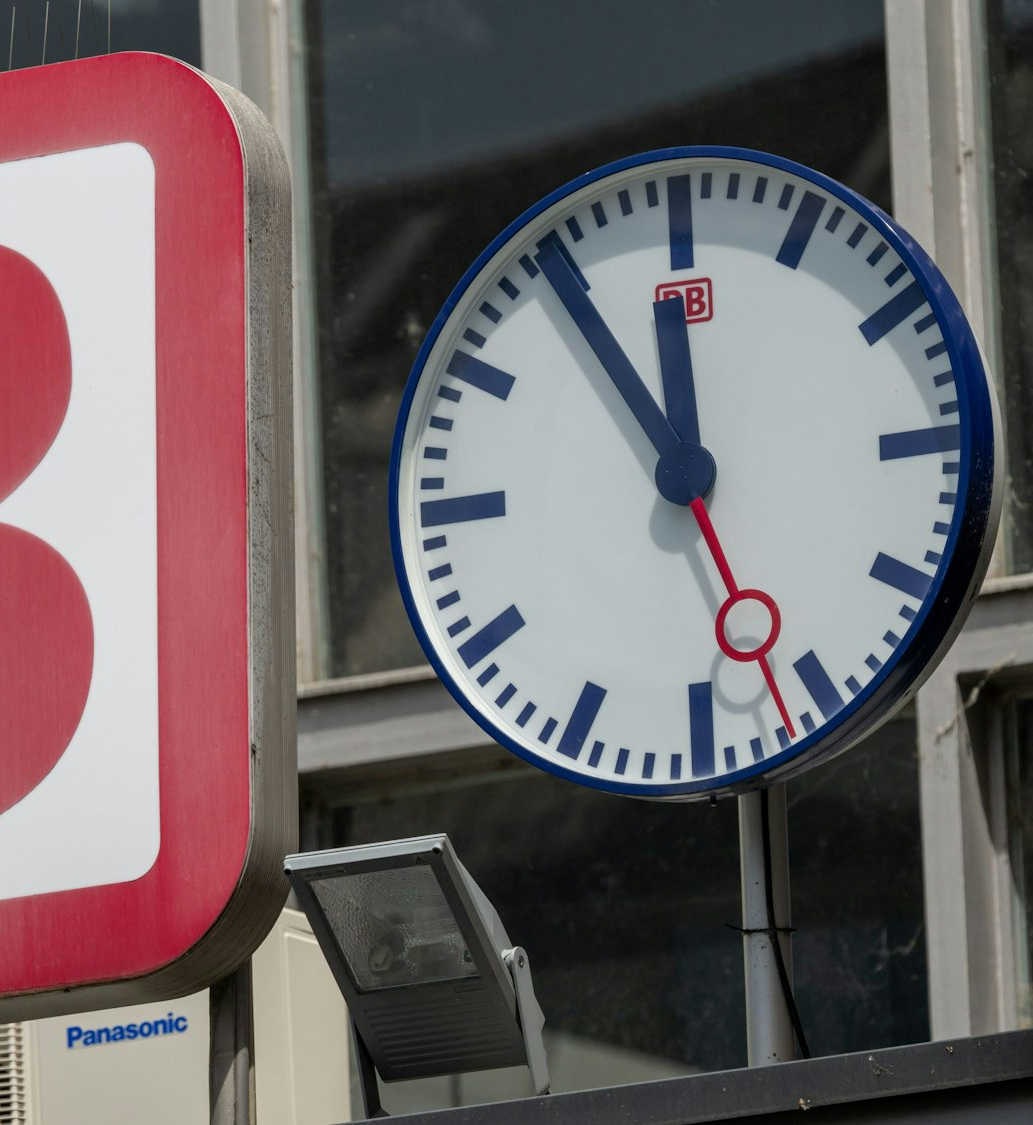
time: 11:54
